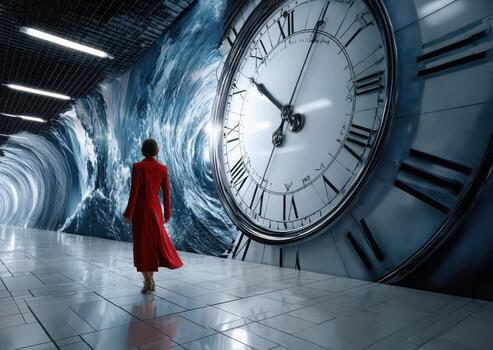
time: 10:05
